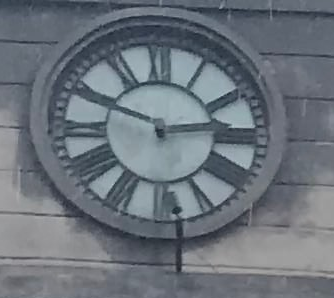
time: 2:48
